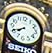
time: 7:40
